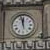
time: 11:57
